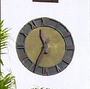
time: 11:34
